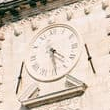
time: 4:28
